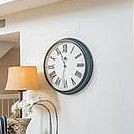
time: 11:31
